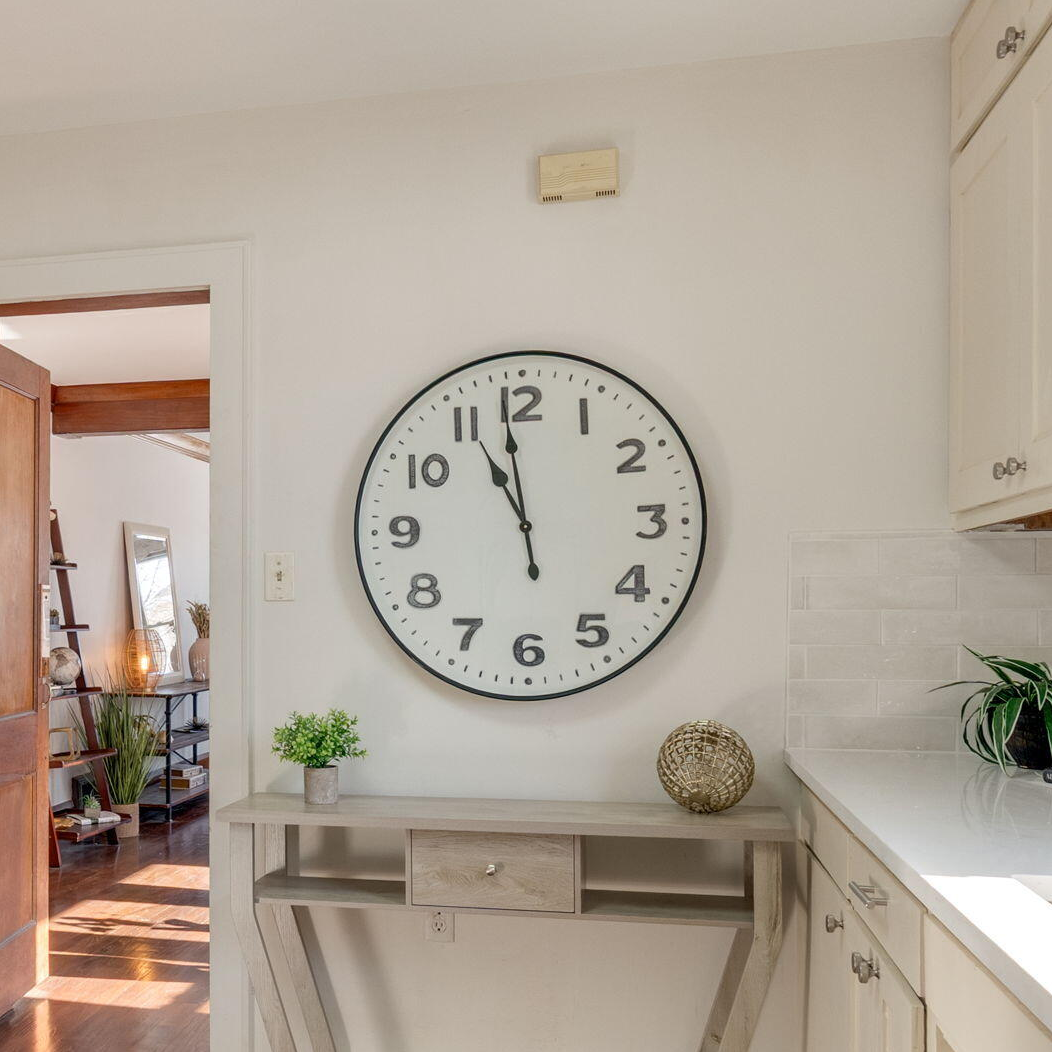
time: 10:58
